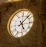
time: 5:07
